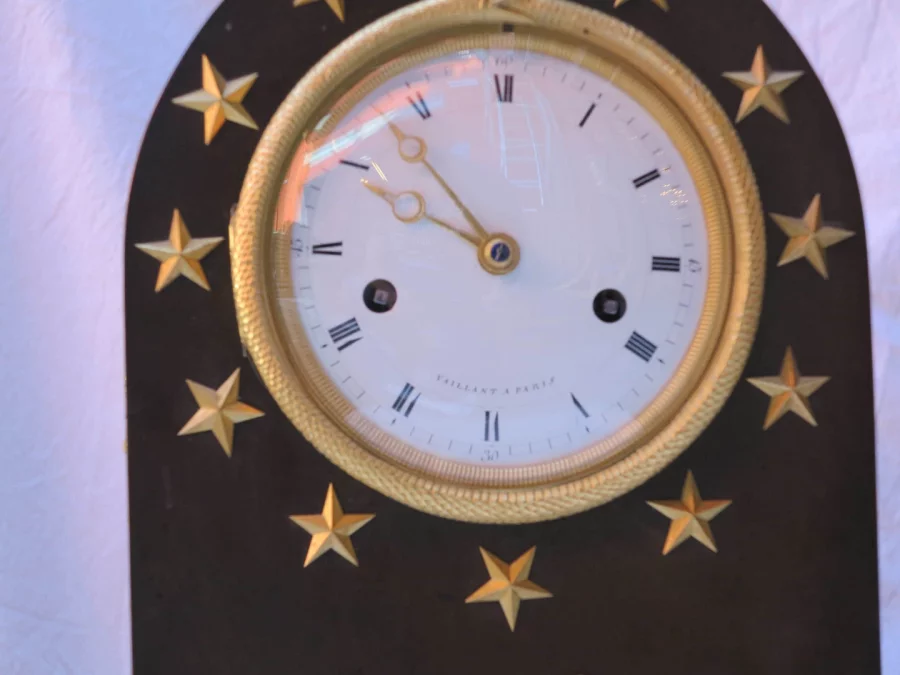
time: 9:53
